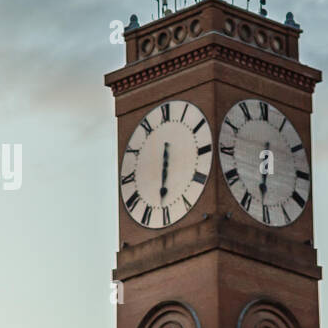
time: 6:31
